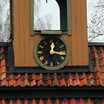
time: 12:16
